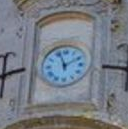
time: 1:56
